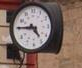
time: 4:45
